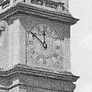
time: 11:51
